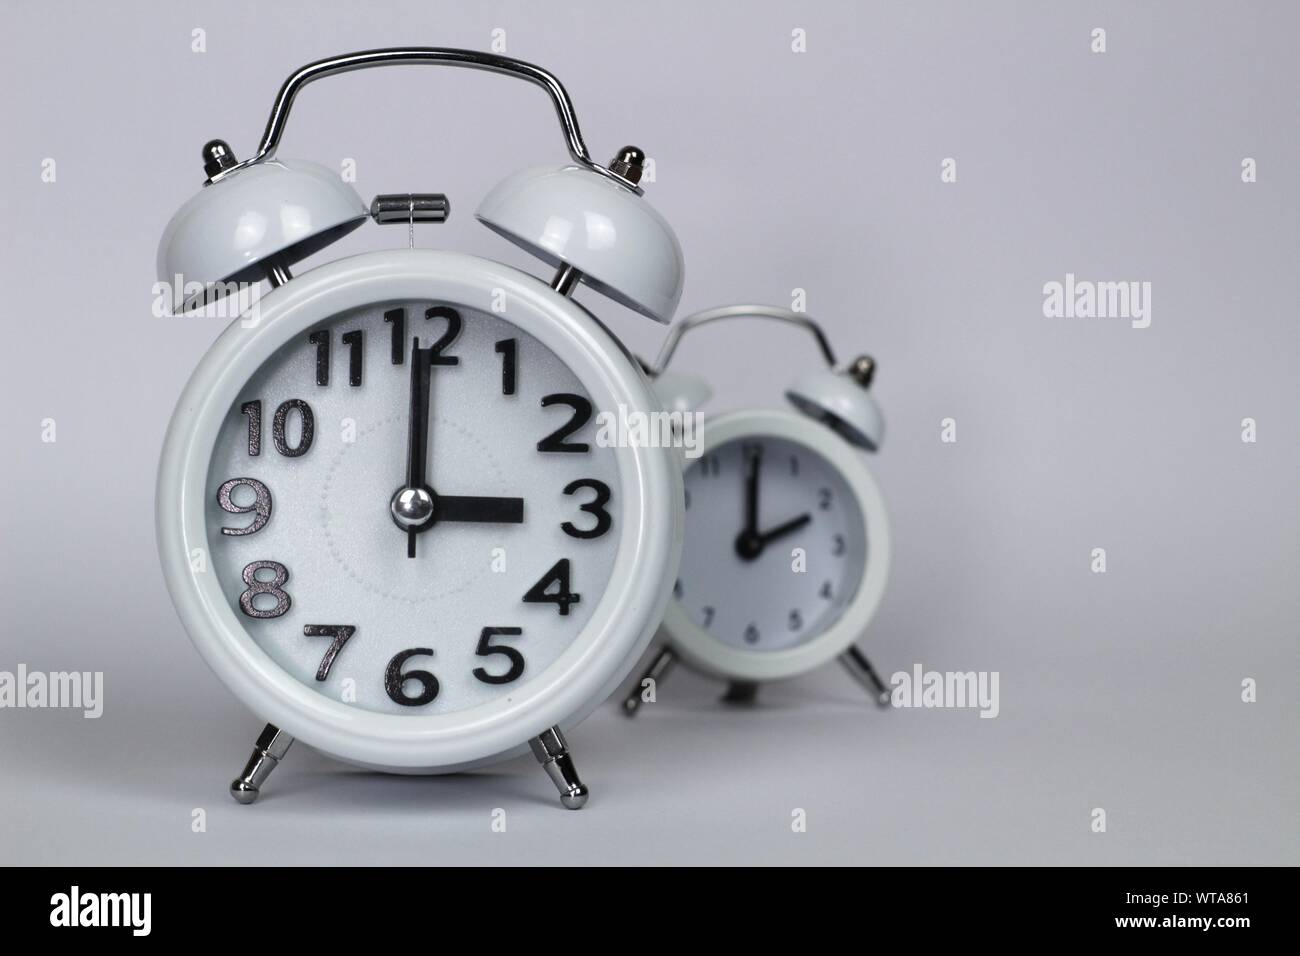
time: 3:00
